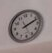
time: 2:11
